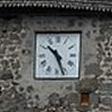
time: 10:26
